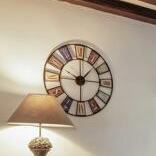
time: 12:07
